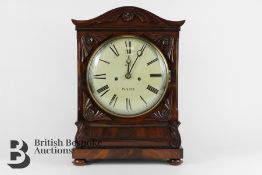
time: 12:04
